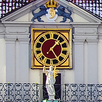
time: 1:23
